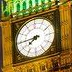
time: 7:44
